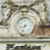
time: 8:33
